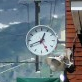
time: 12:41
